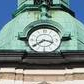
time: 3:39
